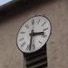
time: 3:32
